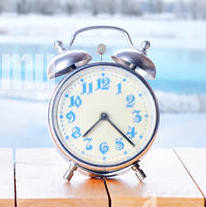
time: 7:22
